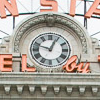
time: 12:48
